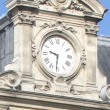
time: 9:31
